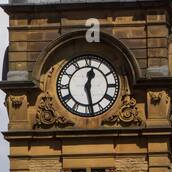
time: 12:28
